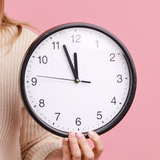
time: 11:56
